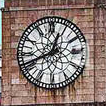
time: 12:41
